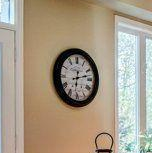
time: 12:12
